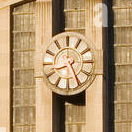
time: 8:25
